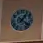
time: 1:20
